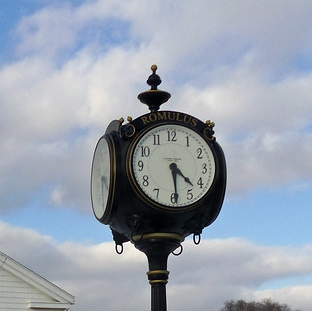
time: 4:29
